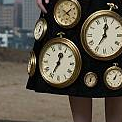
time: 12:34
